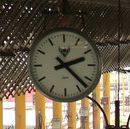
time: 2:22
